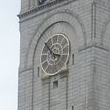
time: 10:17
